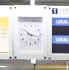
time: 10:17
